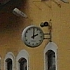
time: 2:00
